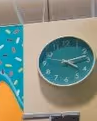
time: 4:12
